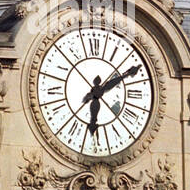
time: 6:10
